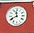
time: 11:40
